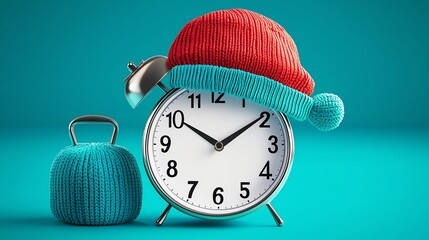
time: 10:09
